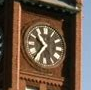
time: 10:36
